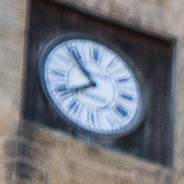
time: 7:53
